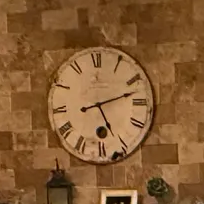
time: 5:12
